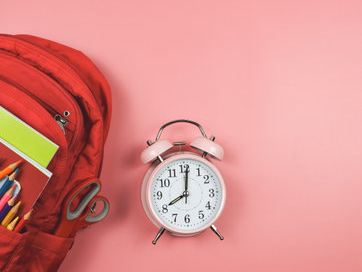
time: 8:01
